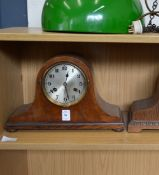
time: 12:28
